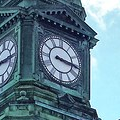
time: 3:16
